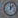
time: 12:07
